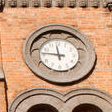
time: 11:46
